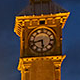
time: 5:42
